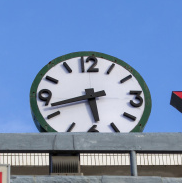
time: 5:42
